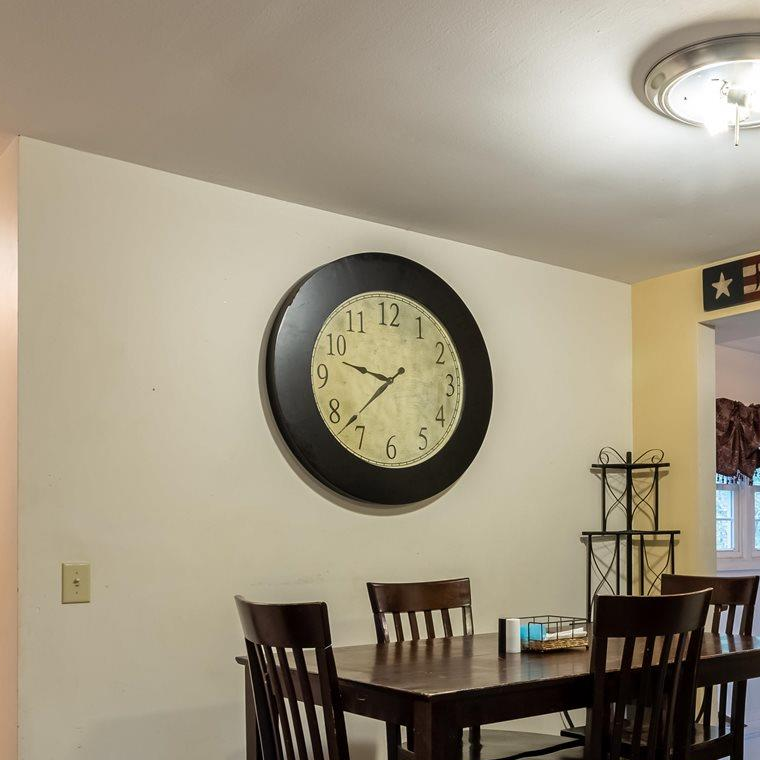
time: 9:37
